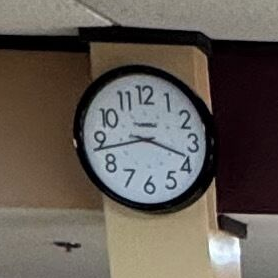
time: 3:43
